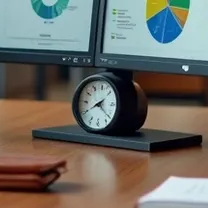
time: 2:21
